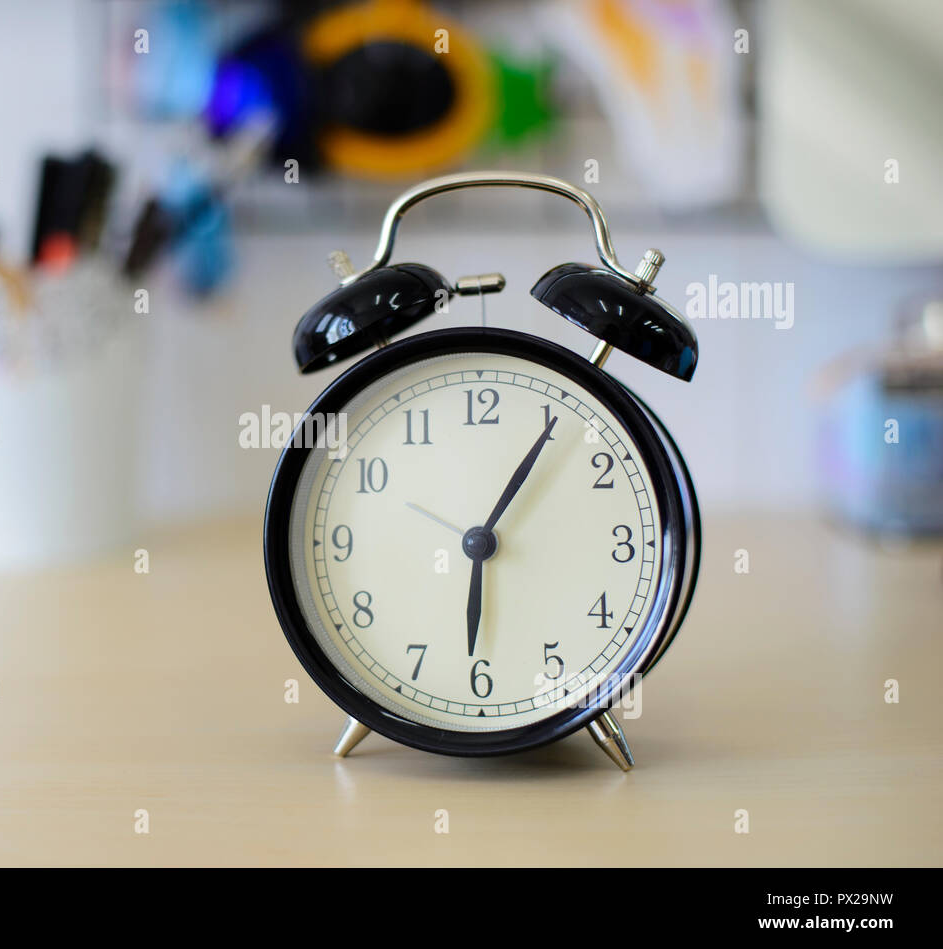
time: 6:05
